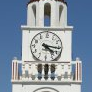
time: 4:16
